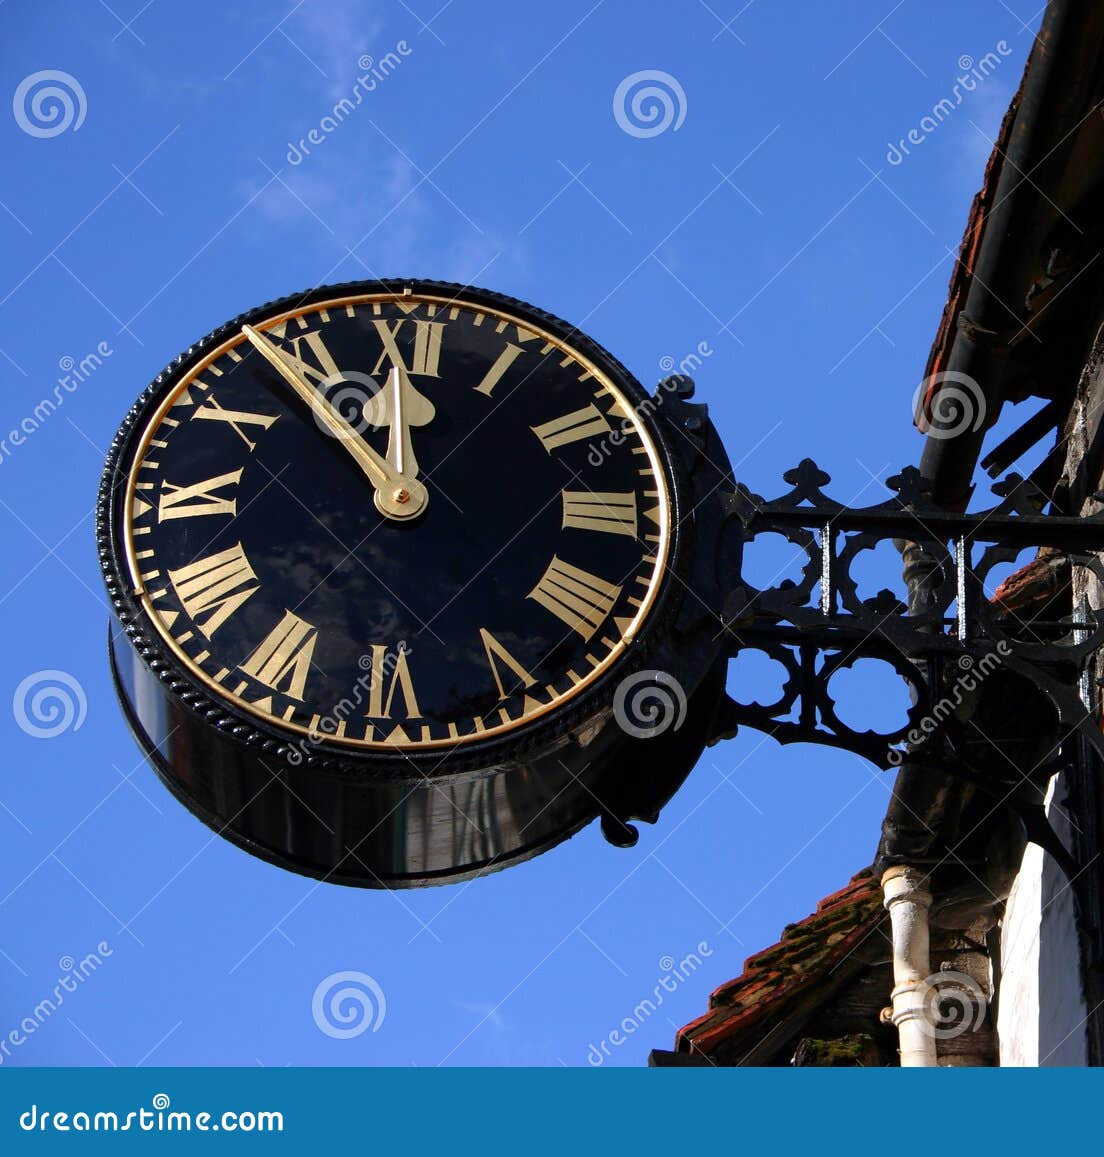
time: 11:53
